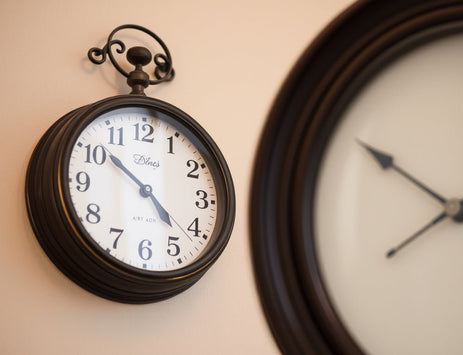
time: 4:22
